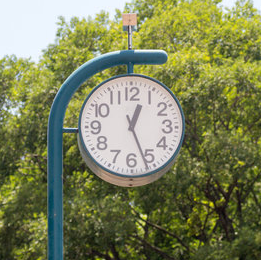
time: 12:26
